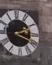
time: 2:18
